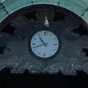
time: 10:42
